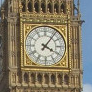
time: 4:06
